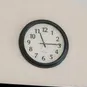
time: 11:14
